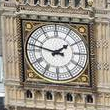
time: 1:47
